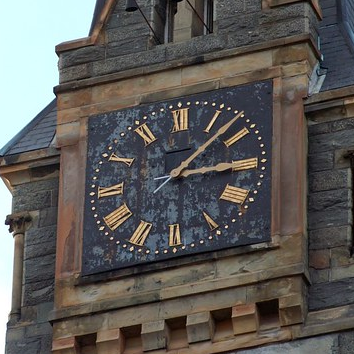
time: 3:07
